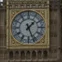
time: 1:26
